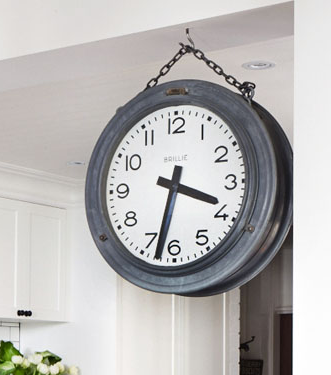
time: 3:32
